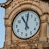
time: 11:01
